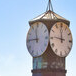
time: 11:45
